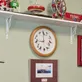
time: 8:59
